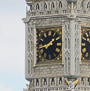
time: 1:42
